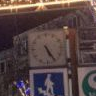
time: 5:25
